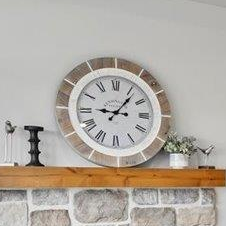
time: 9:06
